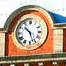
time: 10:26
